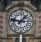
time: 1:46
